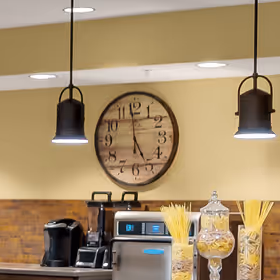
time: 4:59
